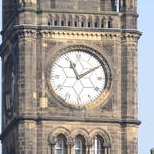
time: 11:09
